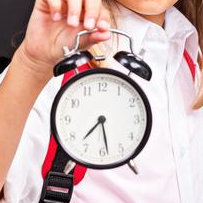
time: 7:28
